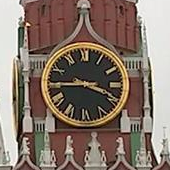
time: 3:44
